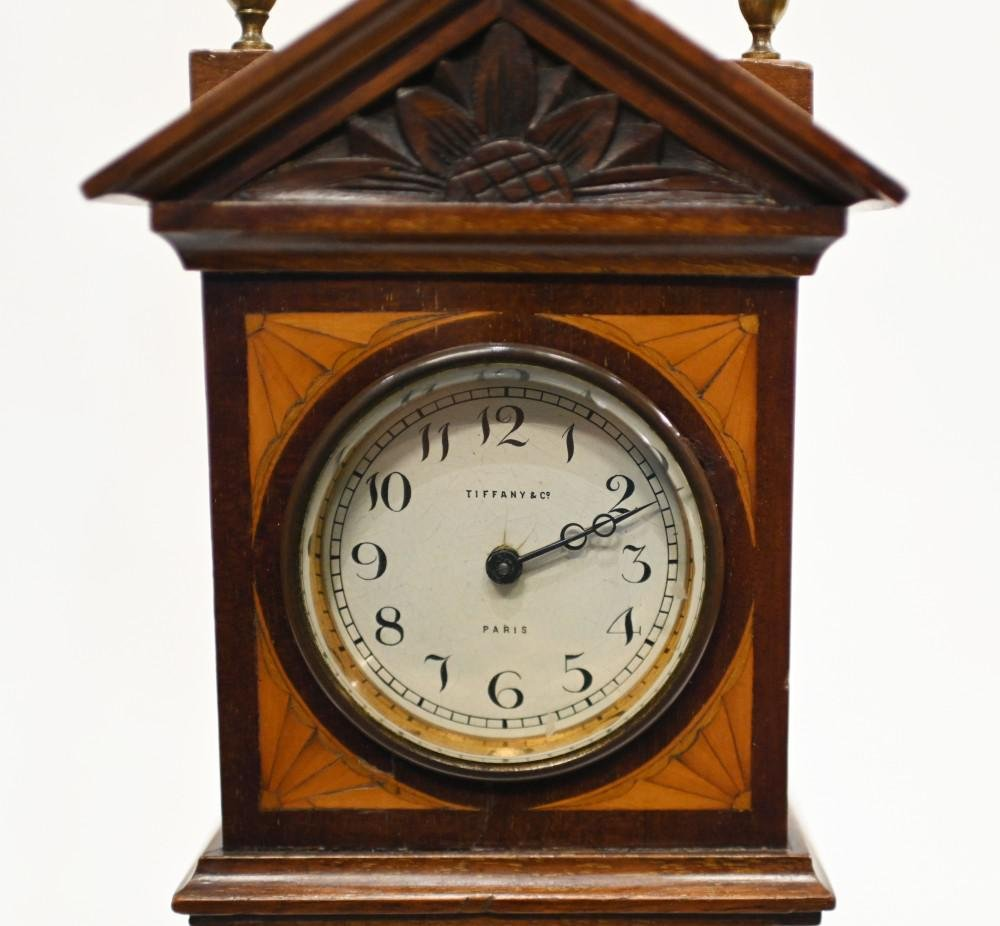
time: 2:11
